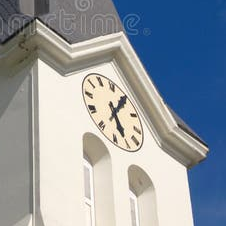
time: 6:09
